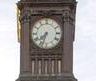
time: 7:33
